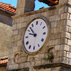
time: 9:52
